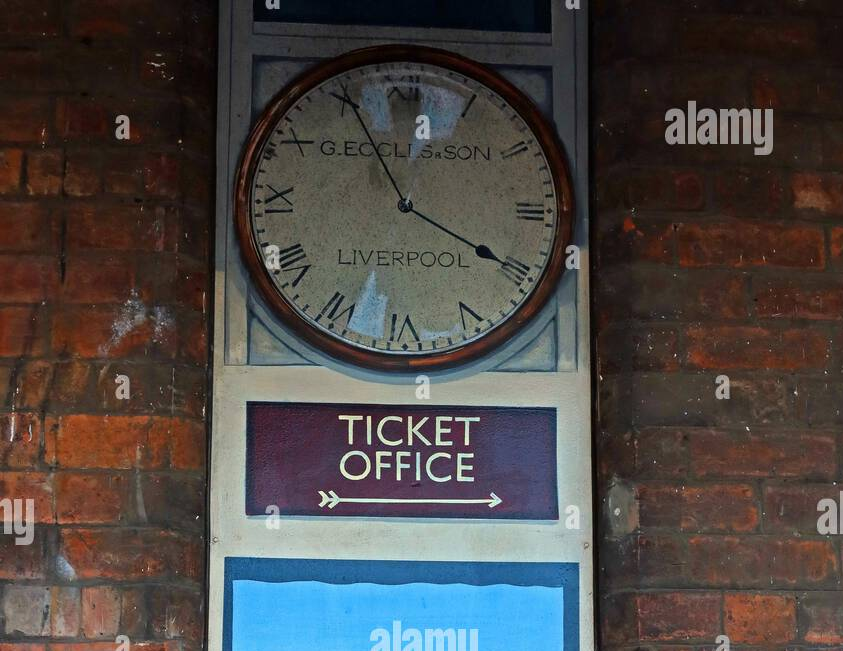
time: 3:55
